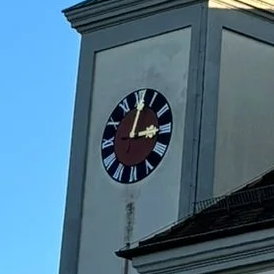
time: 3:01
